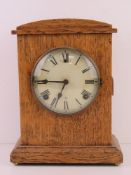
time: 6:45
